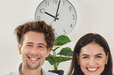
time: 10:02
